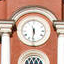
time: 11:31
